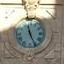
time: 11:25
